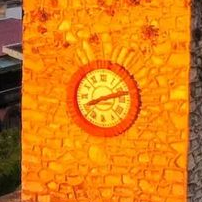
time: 8:12
